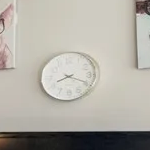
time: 8:19
